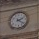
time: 2:21
